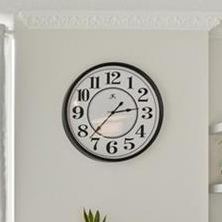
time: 2:37
